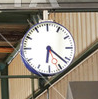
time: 6:21
